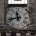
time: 11:42
